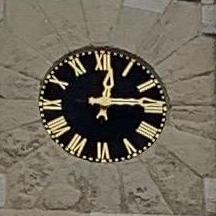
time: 12:14
